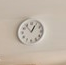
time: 12:53
